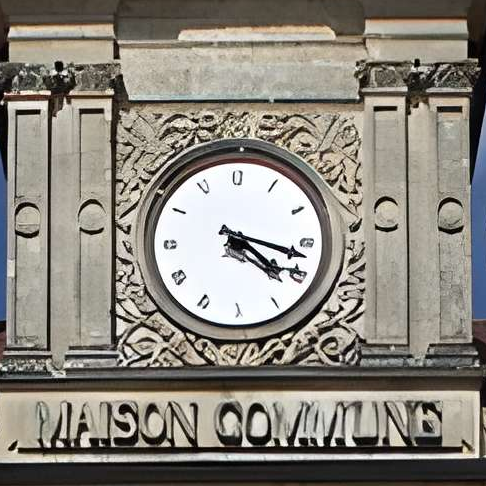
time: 4:17
